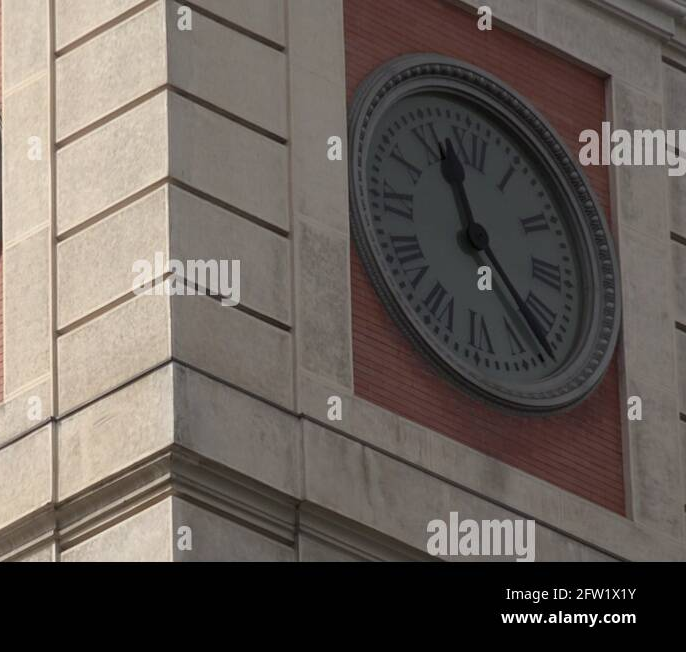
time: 11:22
